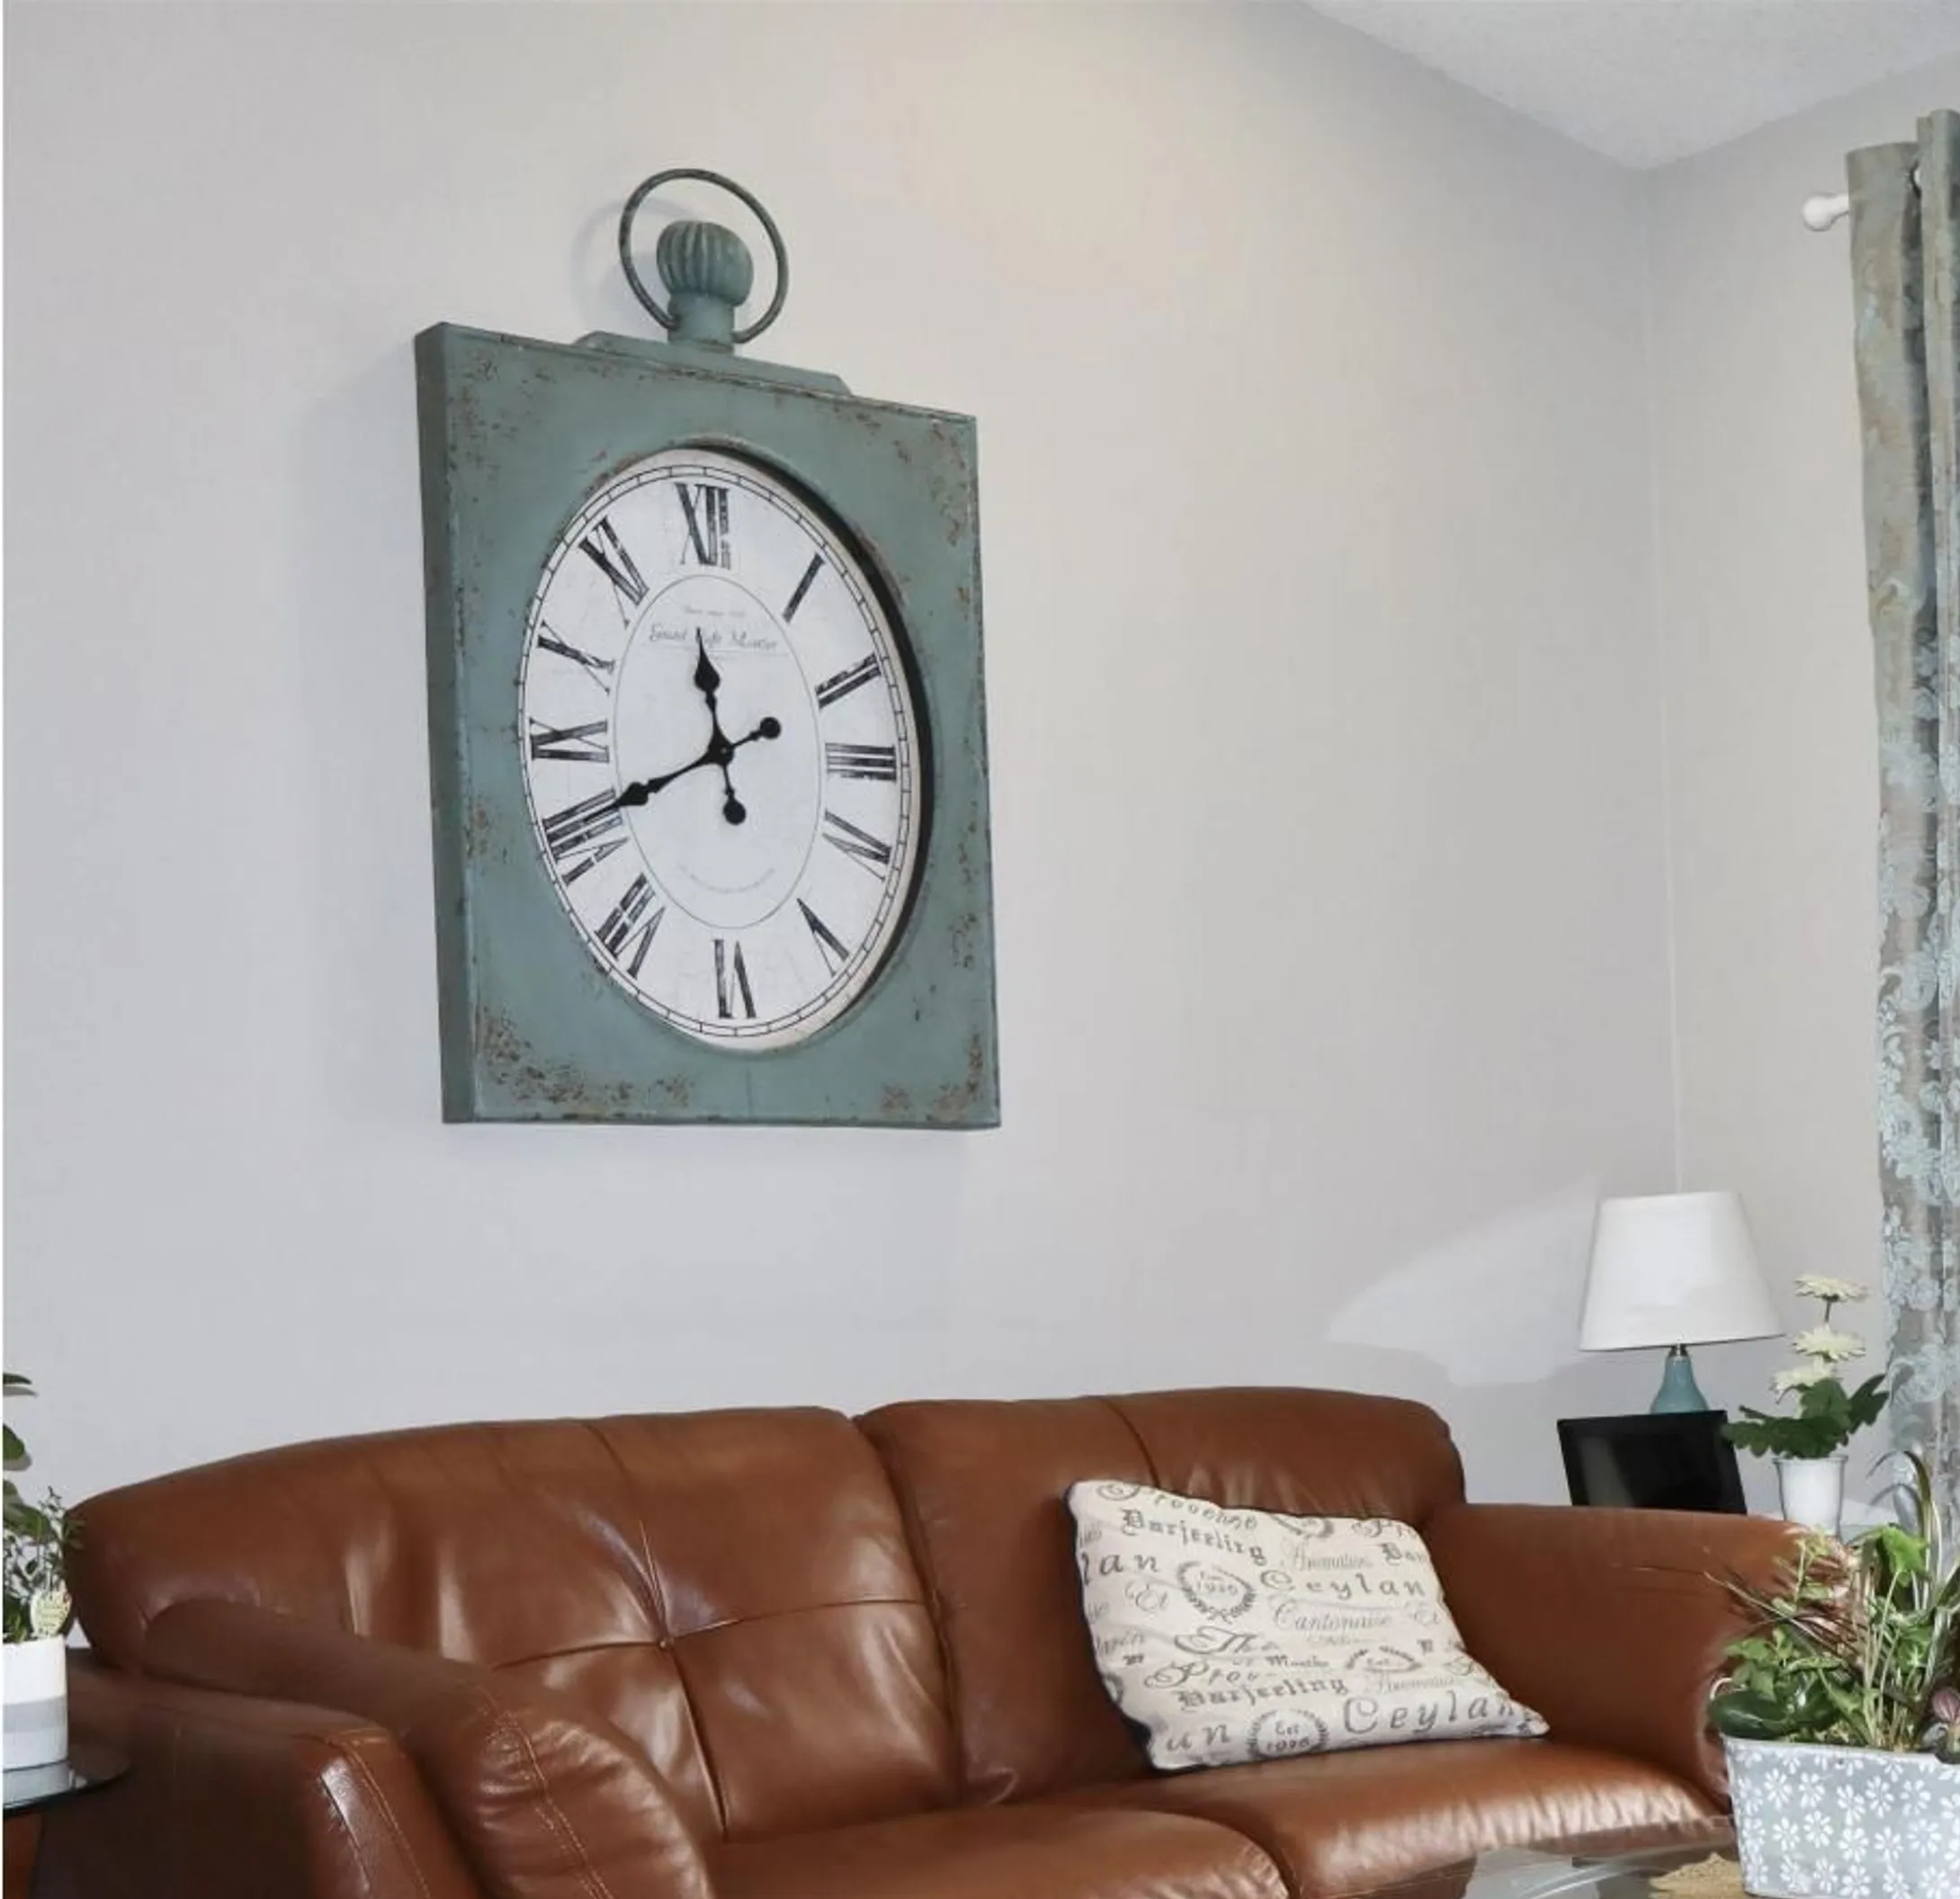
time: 11:40
